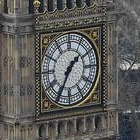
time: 1:34
